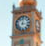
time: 12:16
